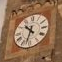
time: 10:32
